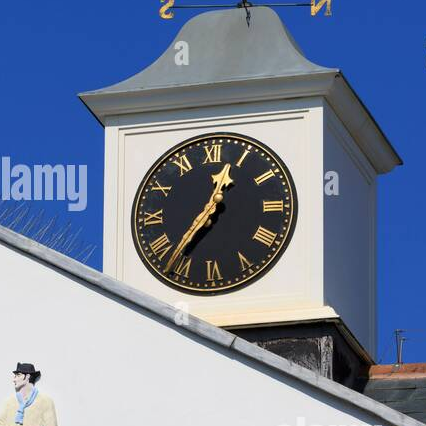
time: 12:36
